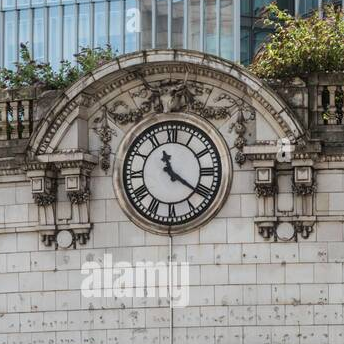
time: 11:21
